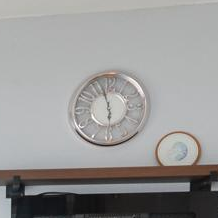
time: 5:57
